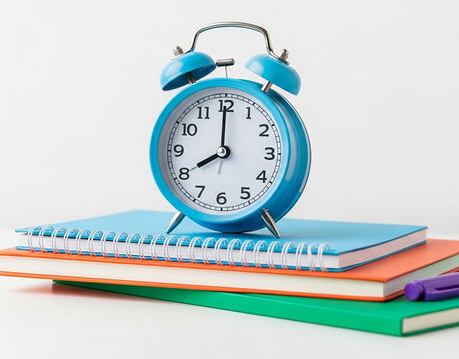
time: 7:59
